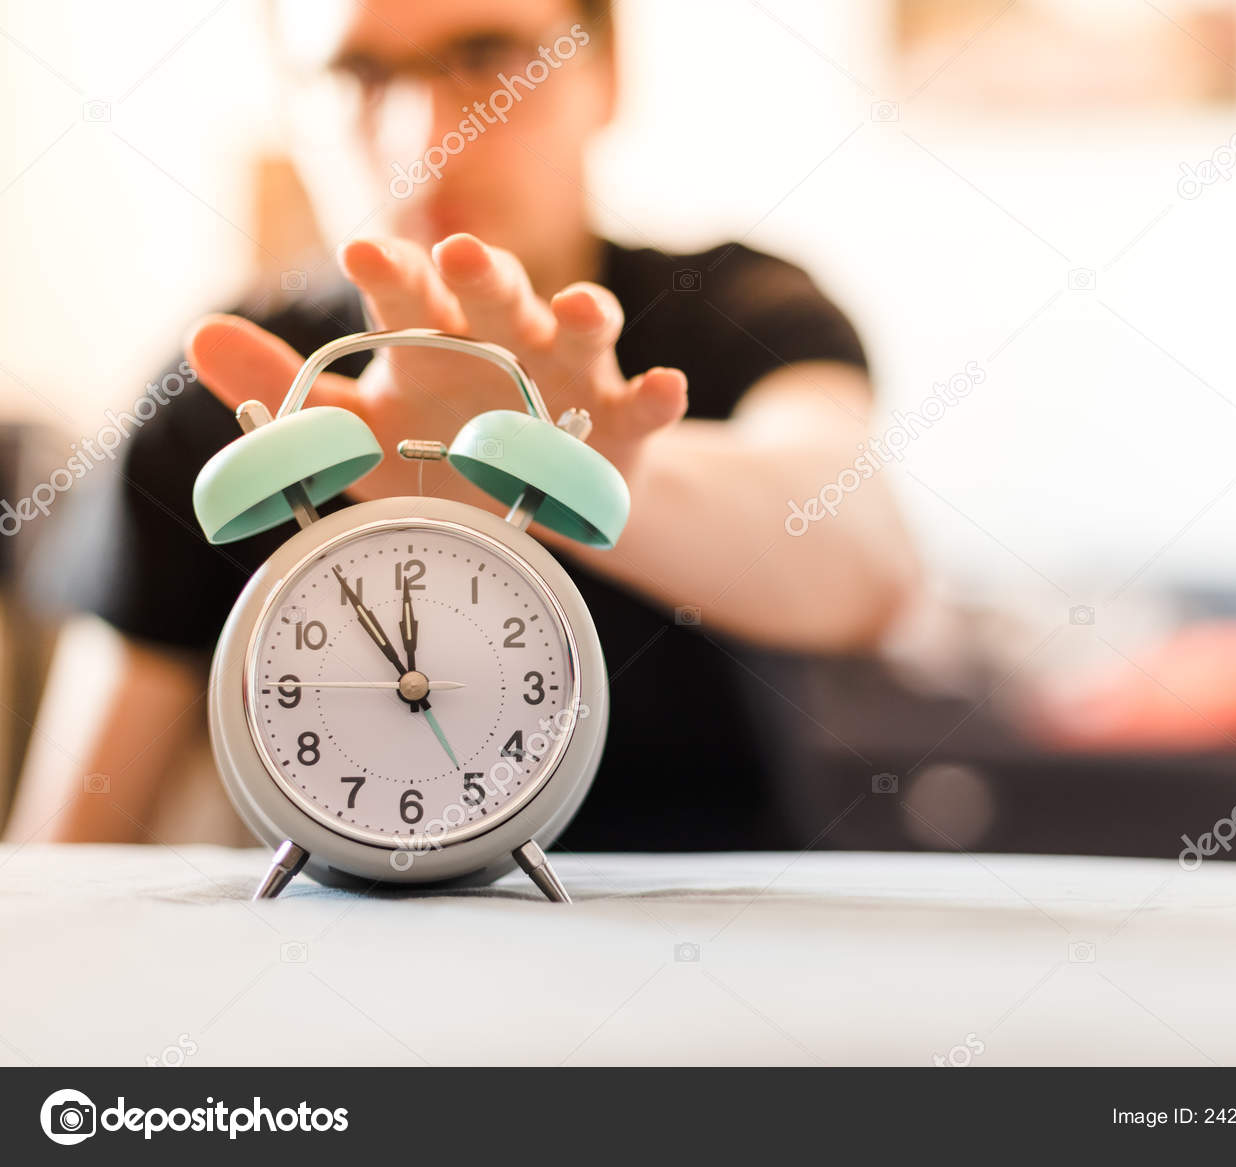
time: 10:59
